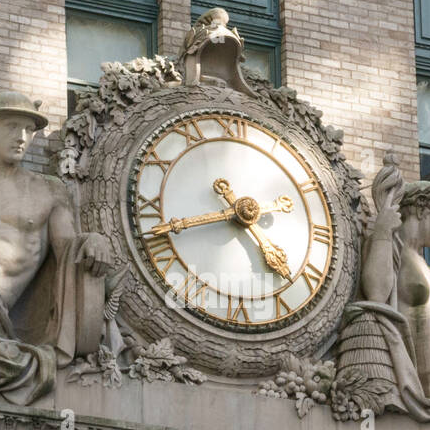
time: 4:41
